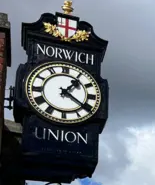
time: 1:20
